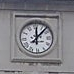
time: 12:07
